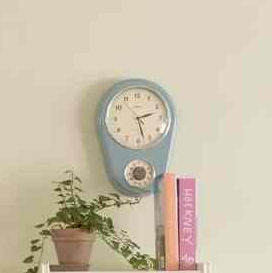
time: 2:27
